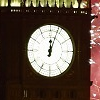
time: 12:03
